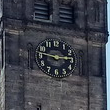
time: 2:46
